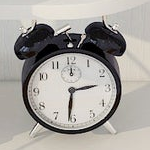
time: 2:31
